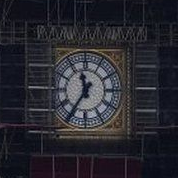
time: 11:35
